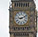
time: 9:11
